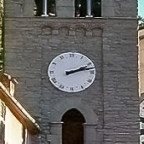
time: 2:12
